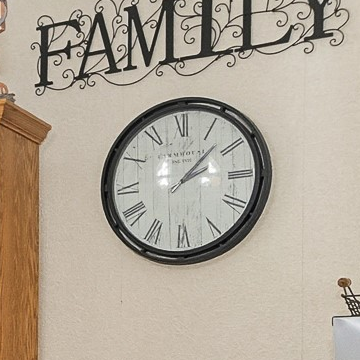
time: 2:07
